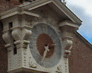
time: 2:34
